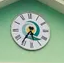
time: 5:36
